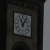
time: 11:05
